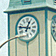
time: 12:46
